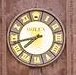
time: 7:42
